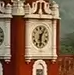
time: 6:06
